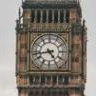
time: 4:42
